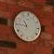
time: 10:45
